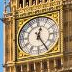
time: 12:24
